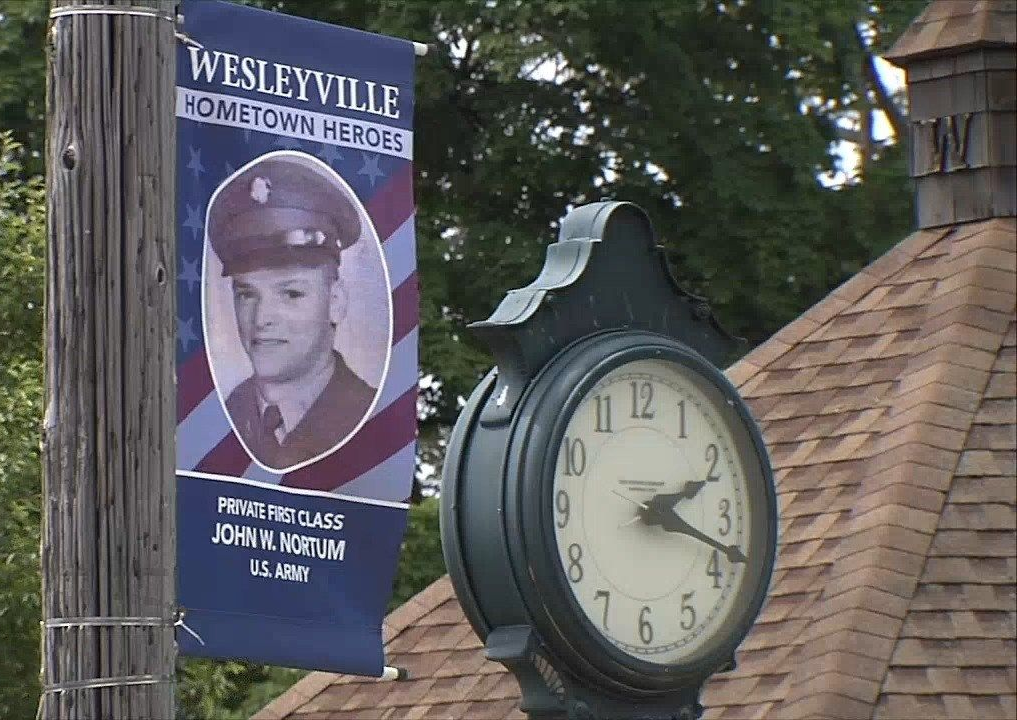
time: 2:18
